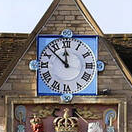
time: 11:52
